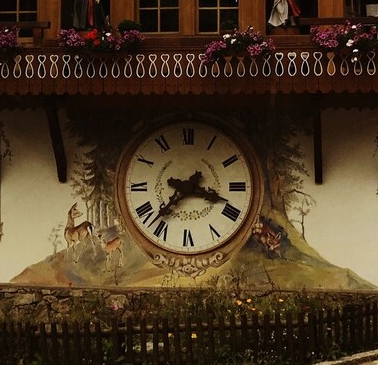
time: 3:37
